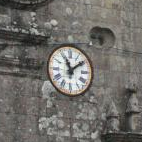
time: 11:08
